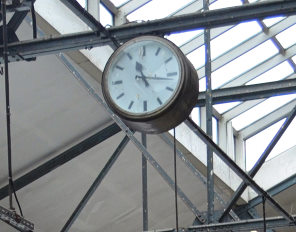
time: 11:16
